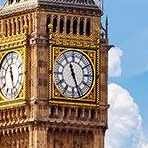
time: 11:26
